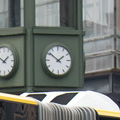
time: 1:51
